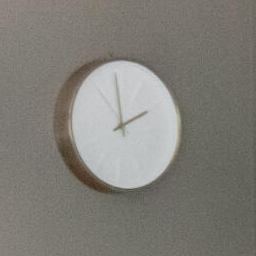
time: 1:59
